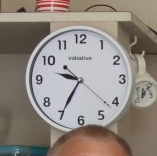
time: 9:35
